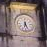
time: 6:26
